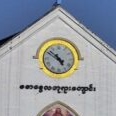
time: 4:52
